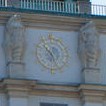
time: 10:26
